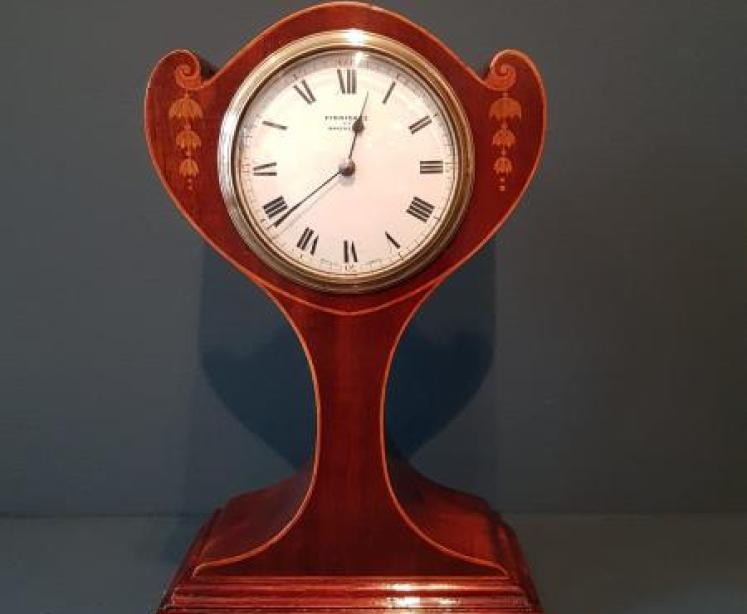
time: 12:38
